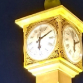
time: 6:10
